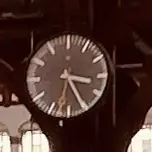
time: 3:25
